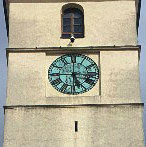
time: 5:45
